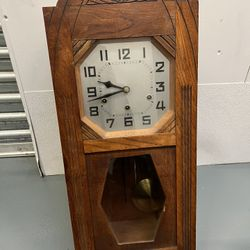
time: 9:42
